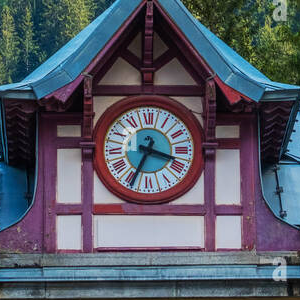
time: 3:34
